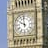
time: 9:58
